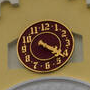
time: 4:20
